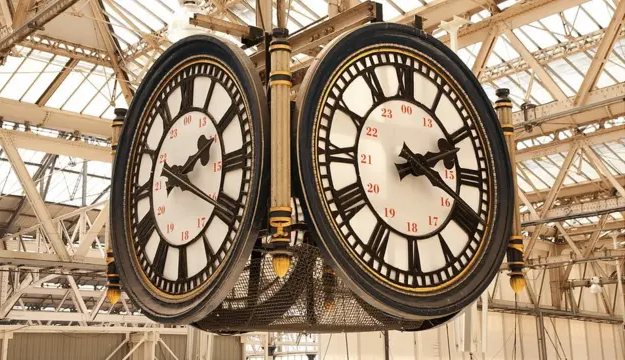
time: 2:18
